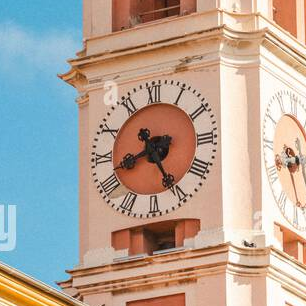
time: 8:25
